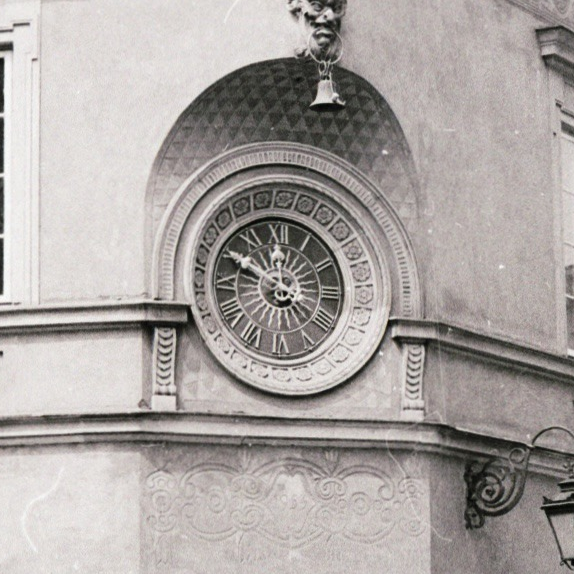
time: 11:49
